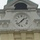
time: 1:37
